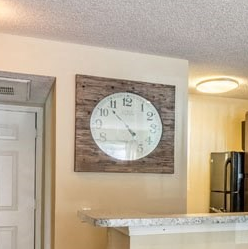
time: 4:44
